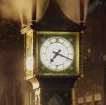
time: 7:18
